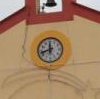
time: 11:42
